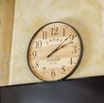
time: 2:08
